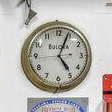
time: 5:03
